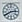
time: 2:40
